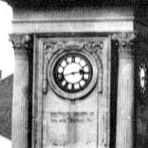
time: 2:42
